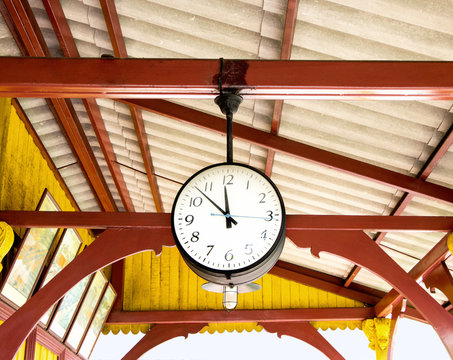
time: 11:52
